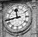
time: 11:43
